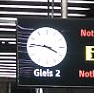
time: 3:46
